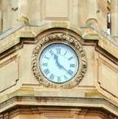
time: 11:21
